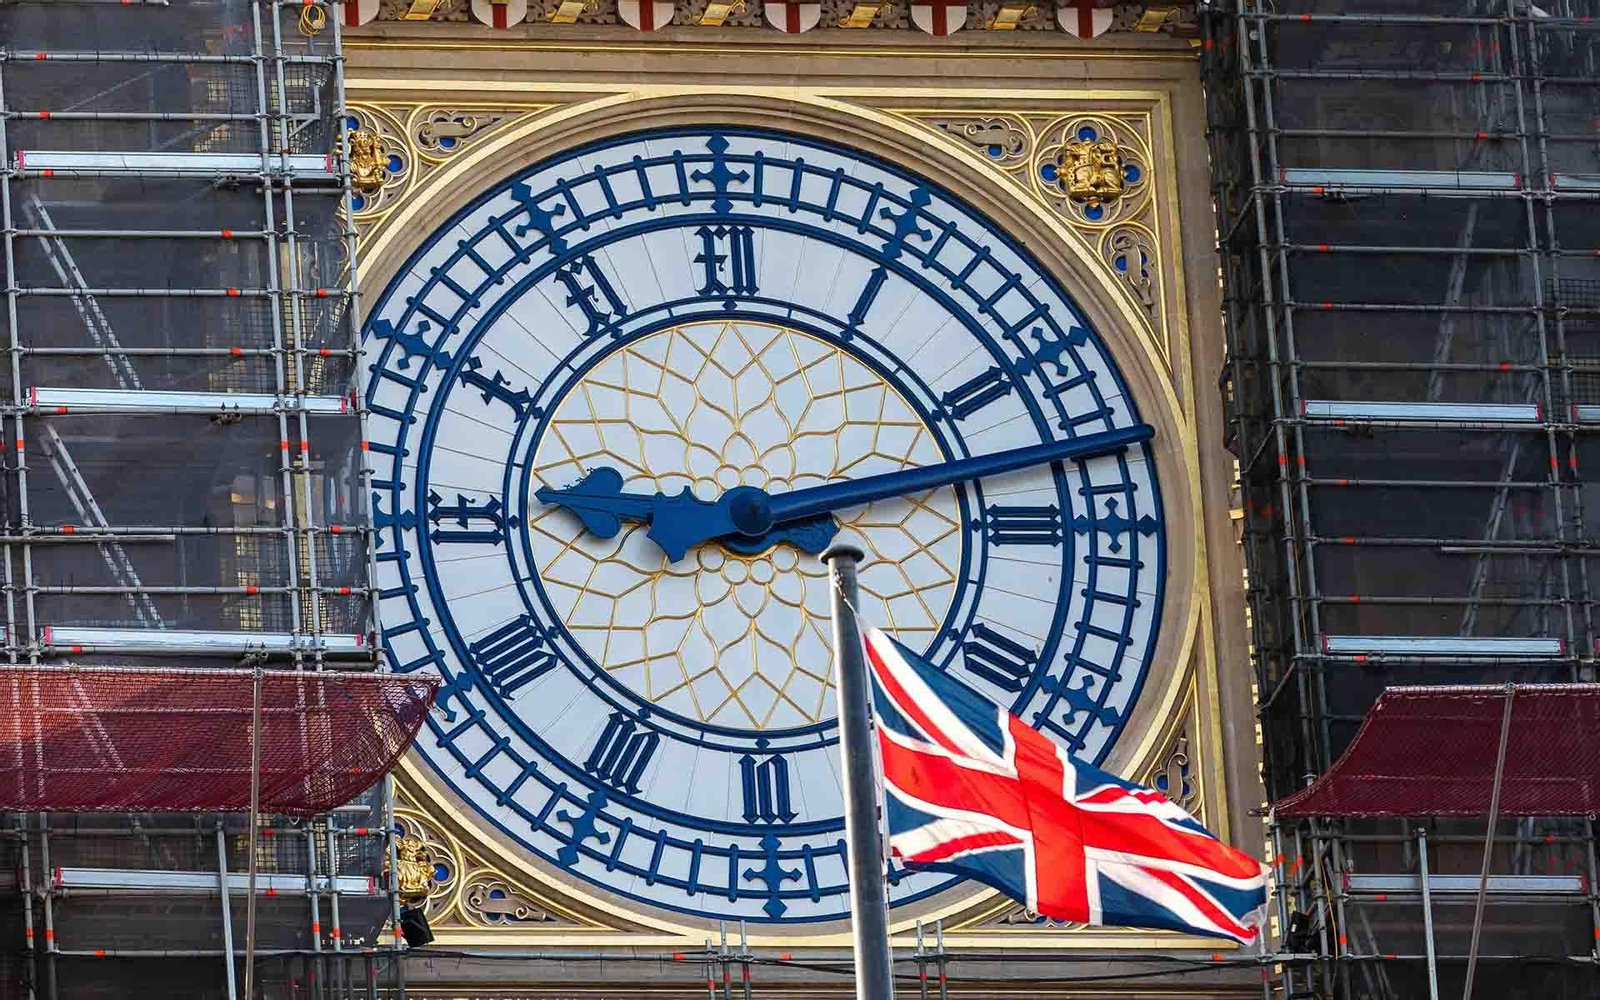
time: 9:12
